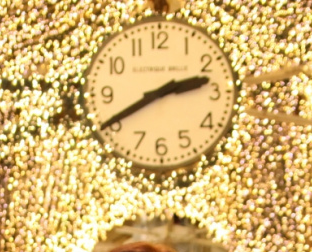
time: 2:40
